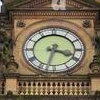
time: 3:32
